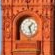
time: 1:27
